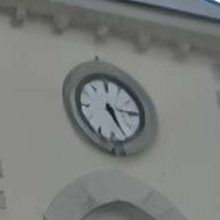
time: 5:14
